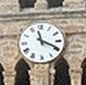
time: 11:19
